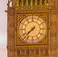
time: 7:37
